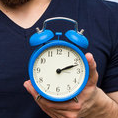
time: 2:11
